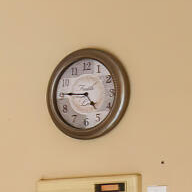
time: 4:45
